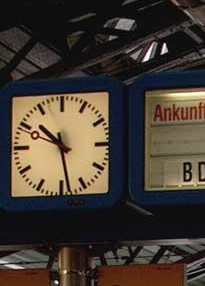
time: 10:28
